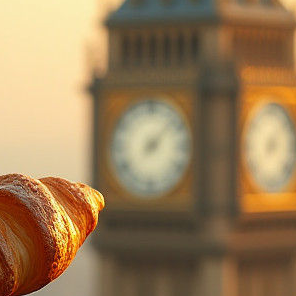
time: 8:07
